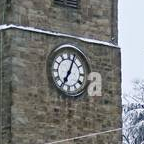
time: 7:04
